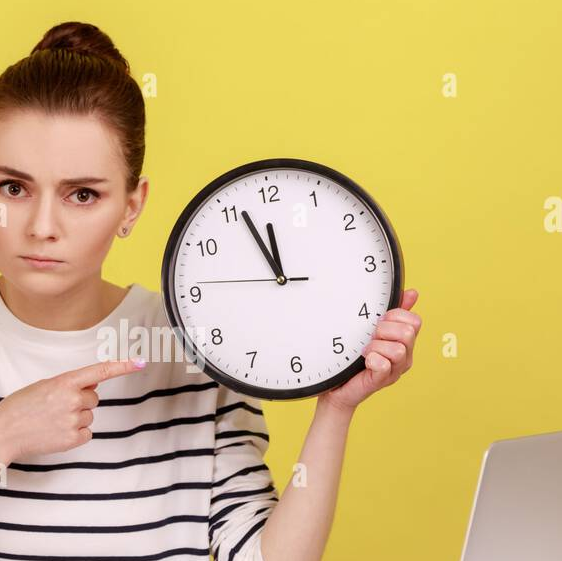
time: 11:56
